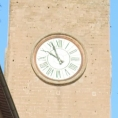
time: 9:56
